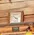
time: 4:12
